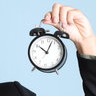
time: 10:03
